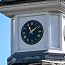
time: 11:08
